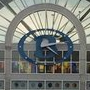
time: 2:21
